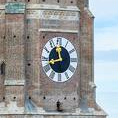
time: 11:42
